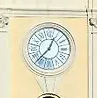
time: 12:37
